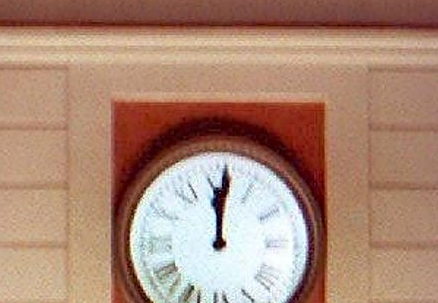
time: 12:01
